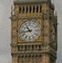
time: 10:43
